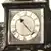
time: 10:22
